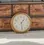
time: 1:28
